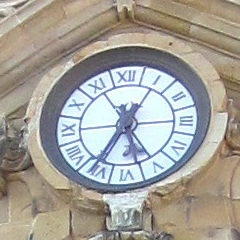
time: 5:34
